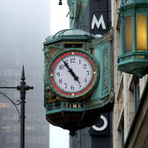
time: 4:54
